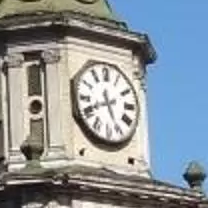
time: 11:41
